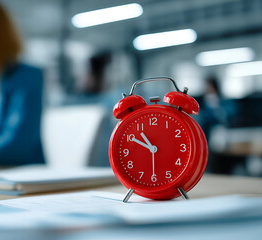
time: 10:50
